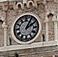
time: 2:05
